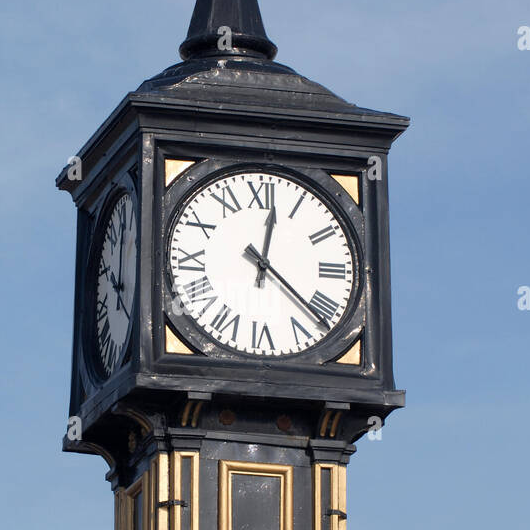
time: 12:21
